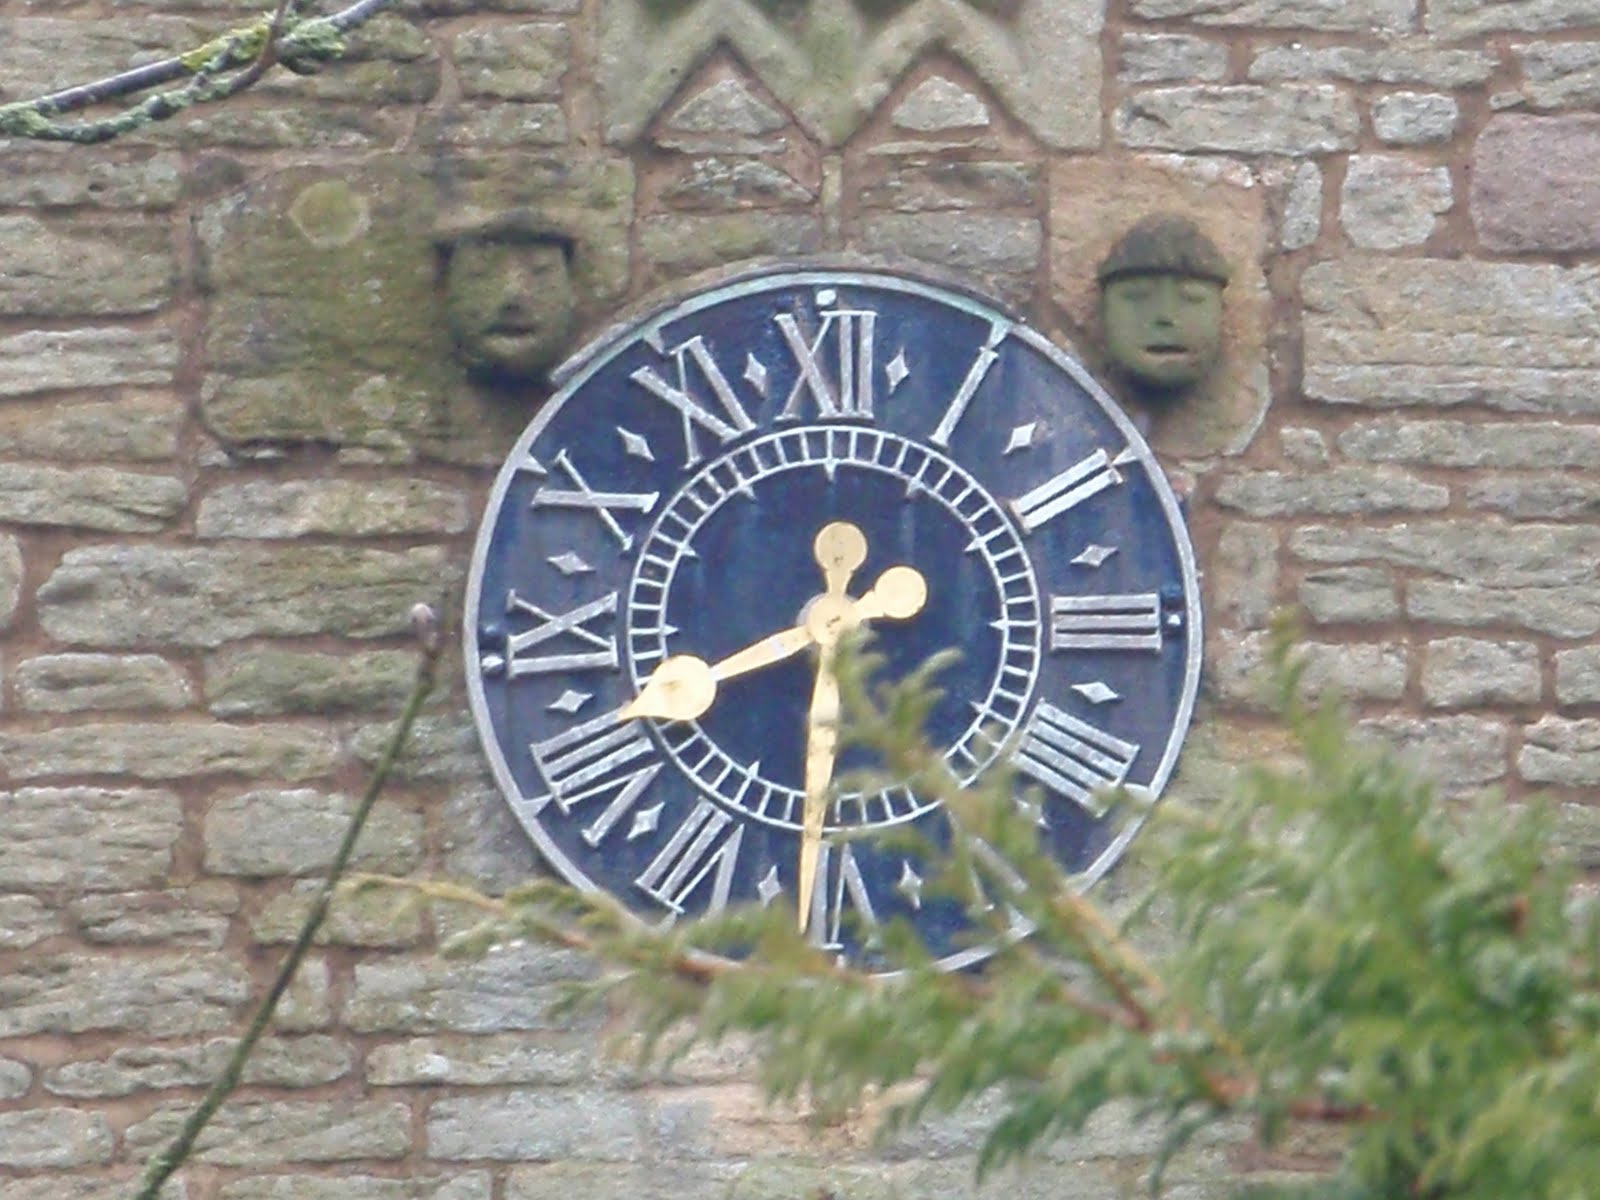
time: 8:30
